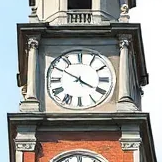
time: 3:50
